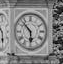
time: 5:52
